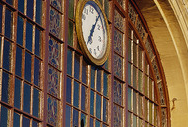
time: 1:05
